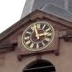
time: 11:13
